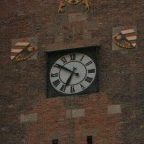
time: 6:50
